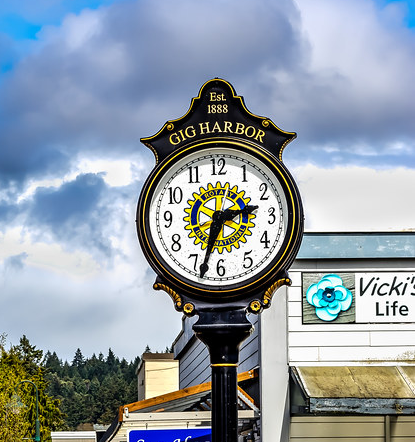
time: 2:33
